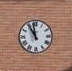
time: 10:58
